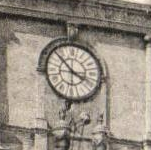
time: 3:52
